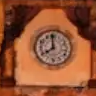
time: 7:59
